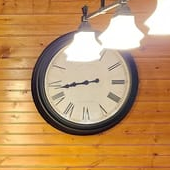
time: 8:43
